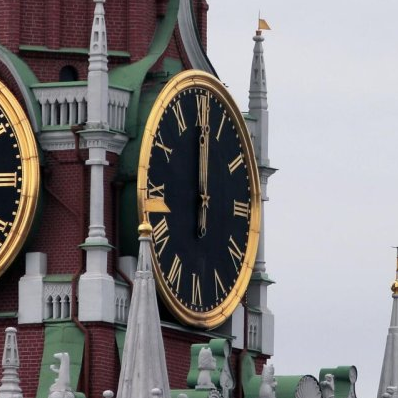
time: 12:00
